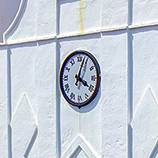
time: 4:03
